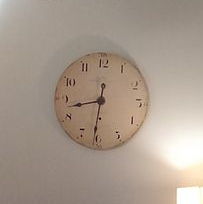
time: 8:31
